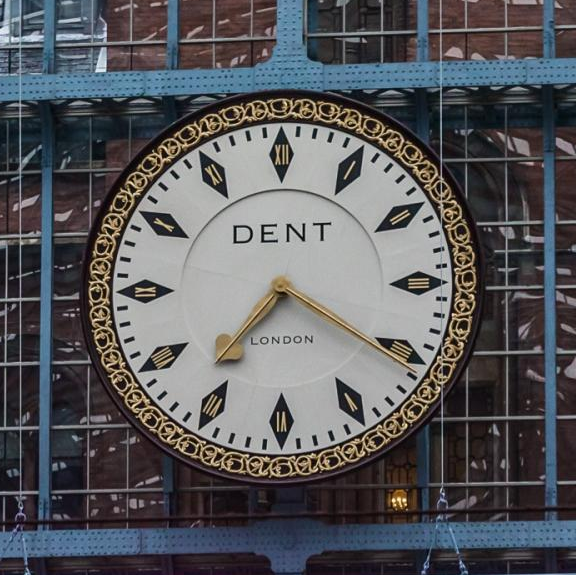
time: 7:20
